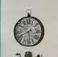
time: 5:40
